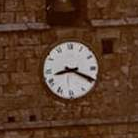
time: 8:19
